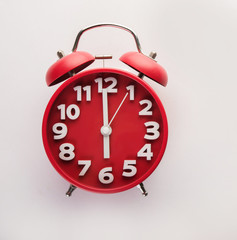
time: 5:59
